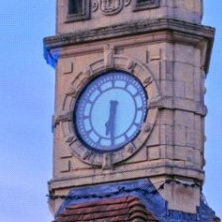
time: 6:29
